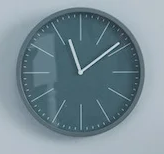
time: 11:08
